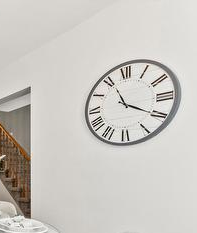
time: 11:19
